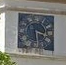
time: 3:29
